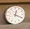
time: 12:19
